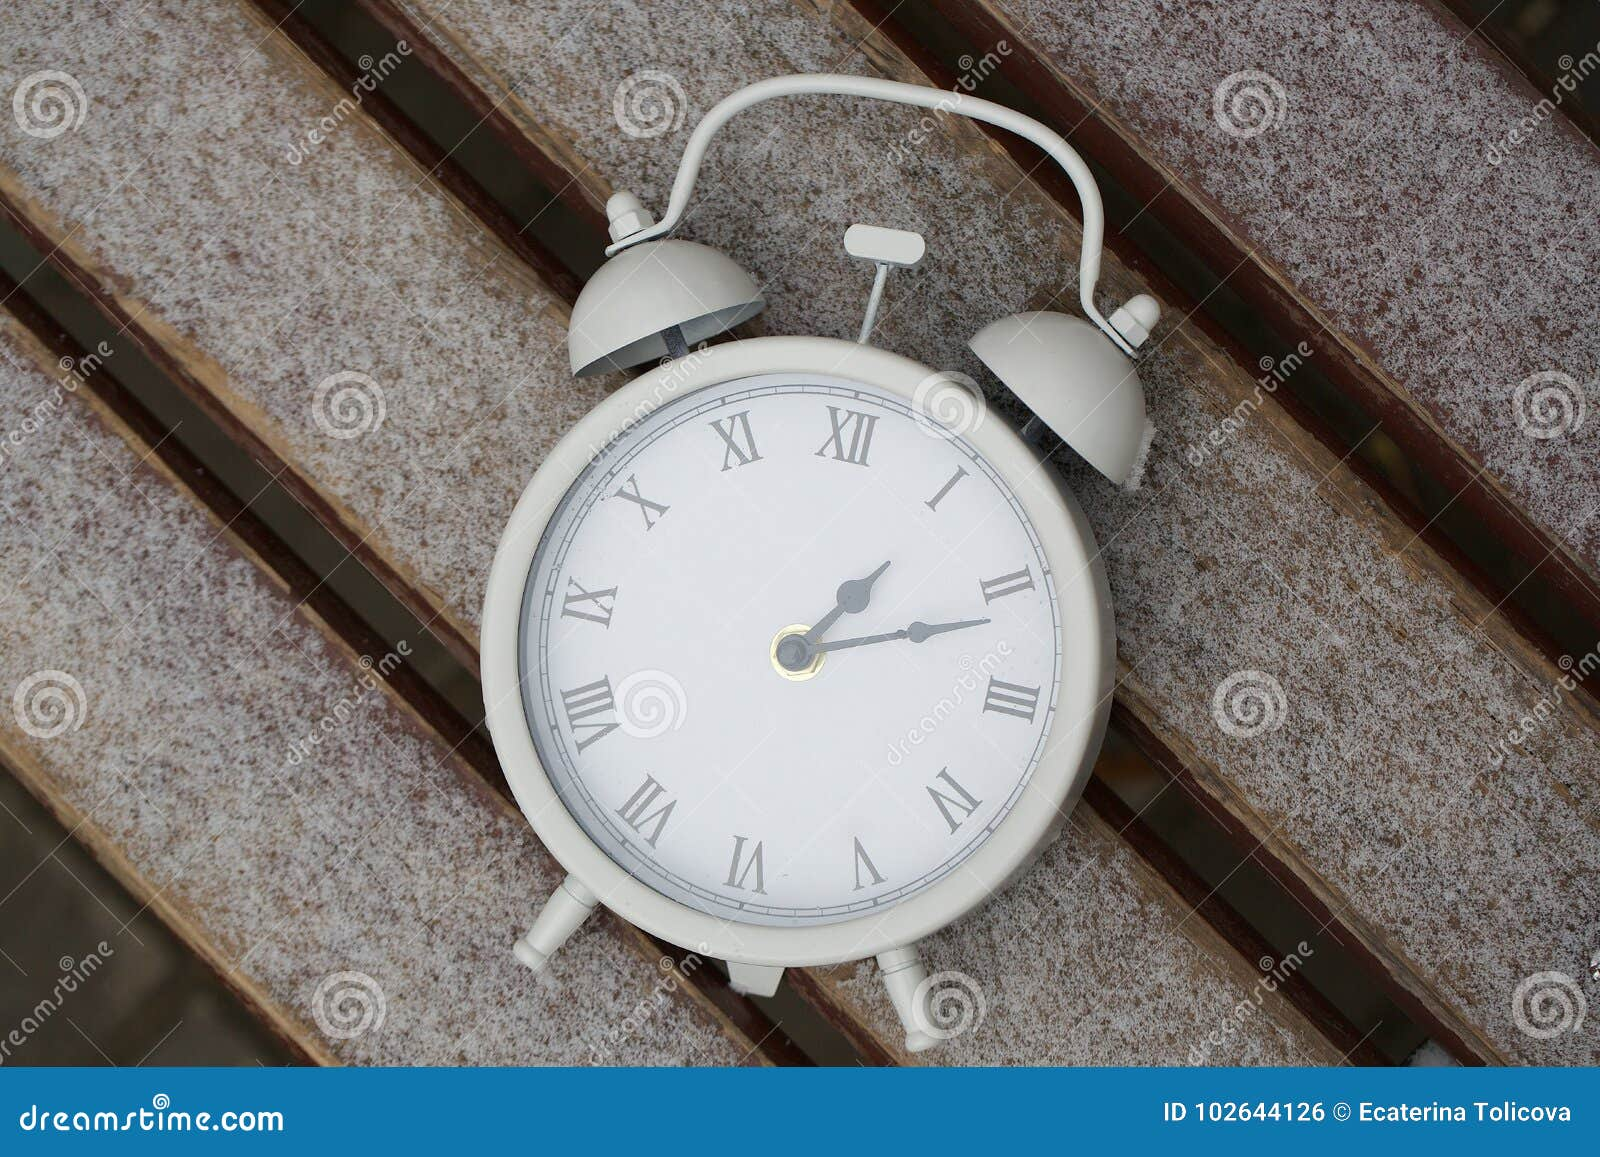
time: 1:11
